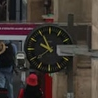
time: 9:55
